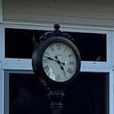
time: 4:47
